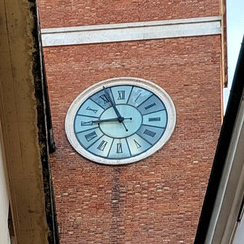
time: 8:56
